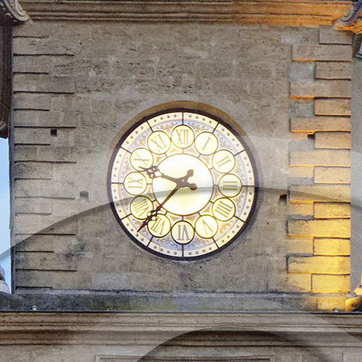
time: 9:37
